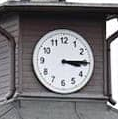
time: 3:14
